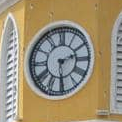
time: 2:29
